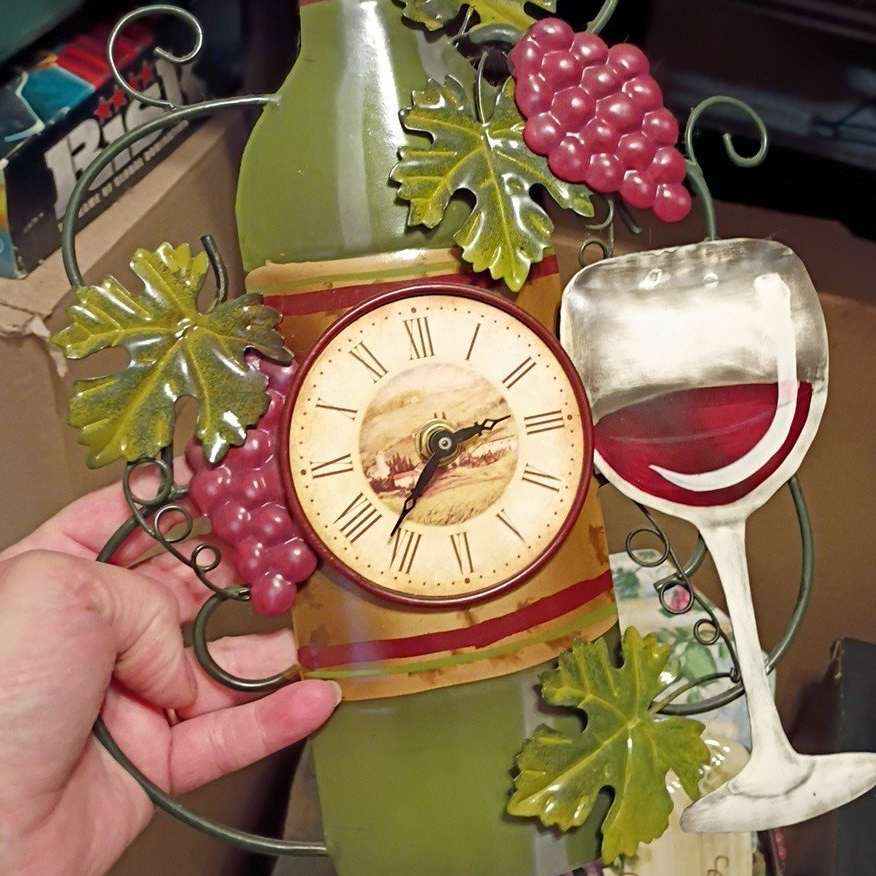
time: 2:36
